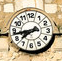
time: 7:43
